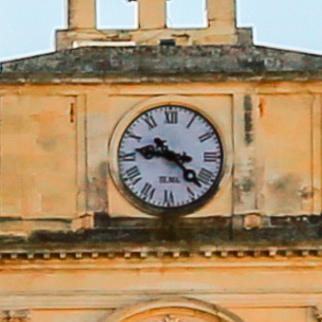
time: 9:22
